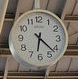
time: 6:22
